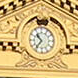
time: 10:36
